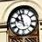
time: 9:57
